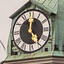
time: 5:00
